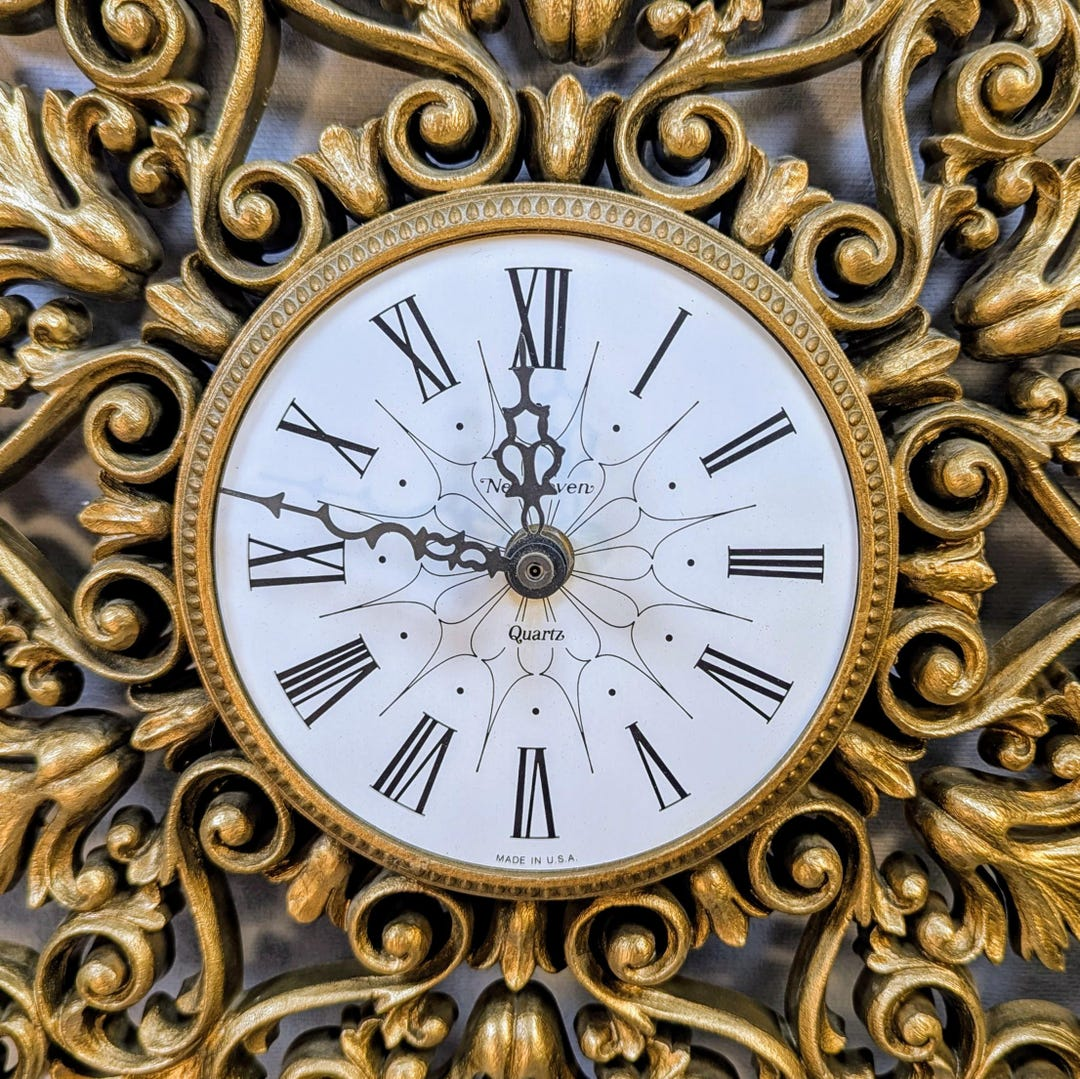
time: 11:46
